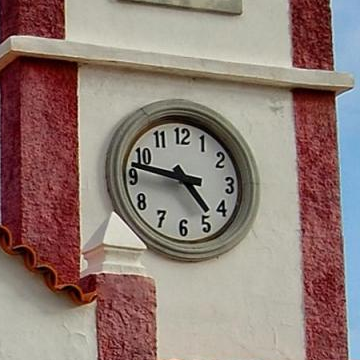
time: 4:46
